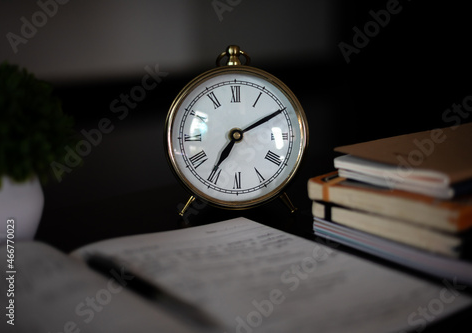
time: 7:09
